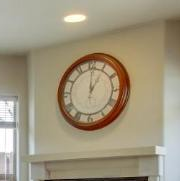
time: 1:00
